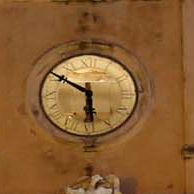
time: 5:50
